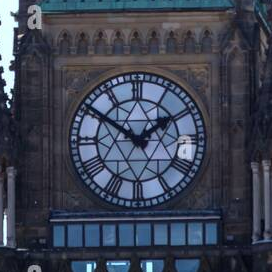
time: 1:50
